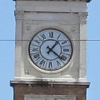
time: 1:21
